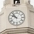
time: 9:53
